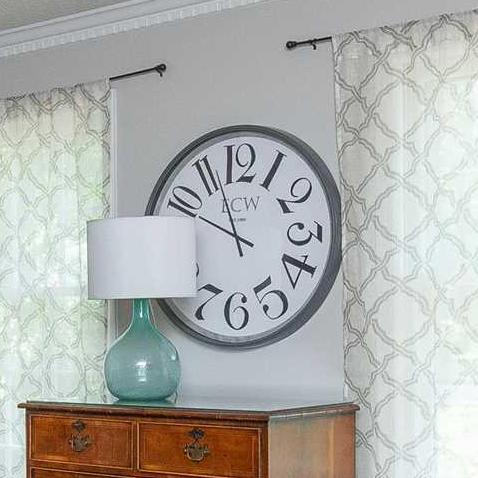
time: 9:56
